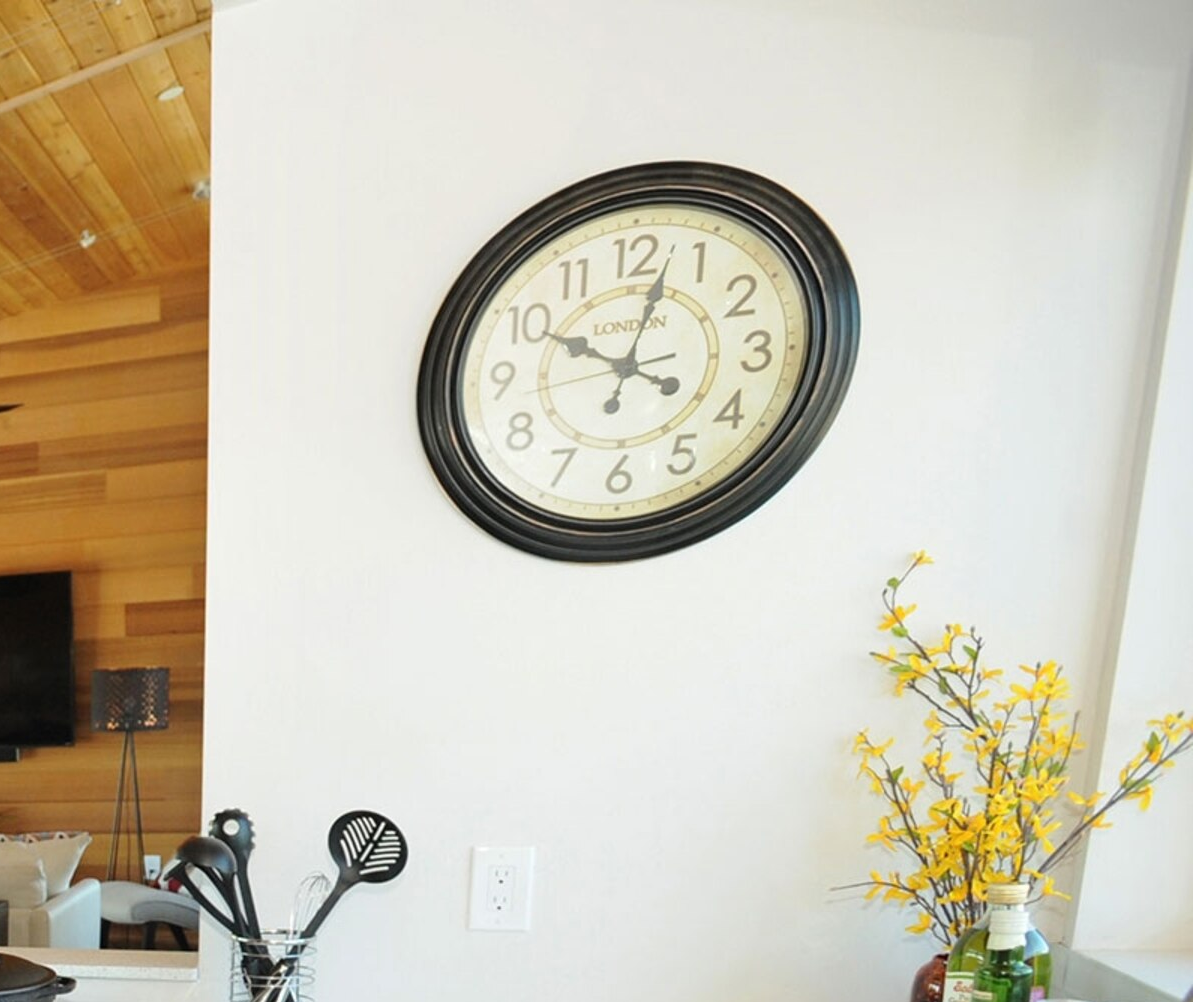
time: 10:02
